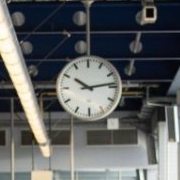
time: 10:13
